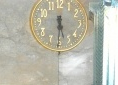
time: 5:30
